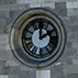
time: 2:00
